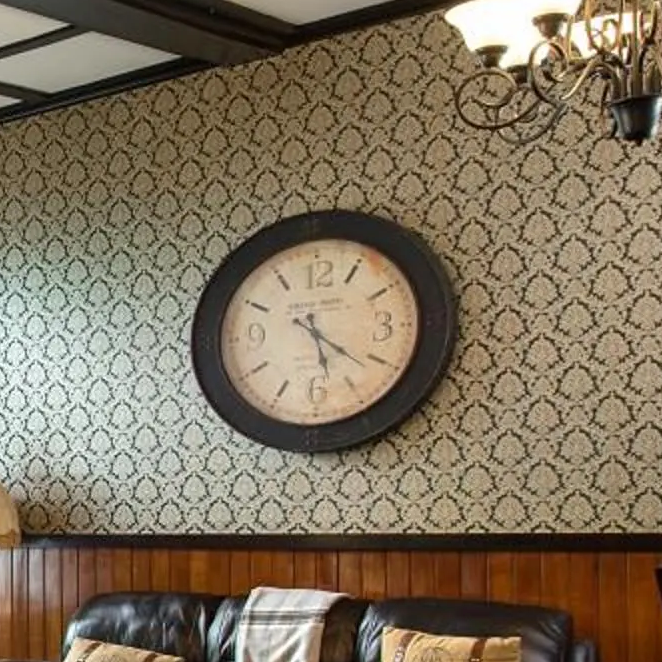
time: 5:21
